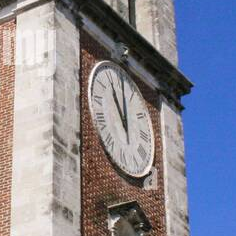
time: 11:00
